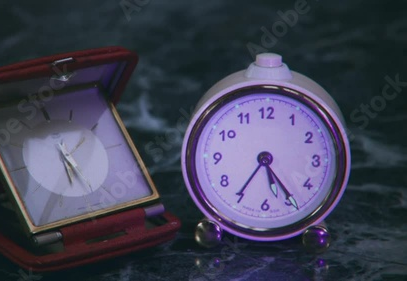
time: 5:24
